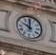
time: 10:00
